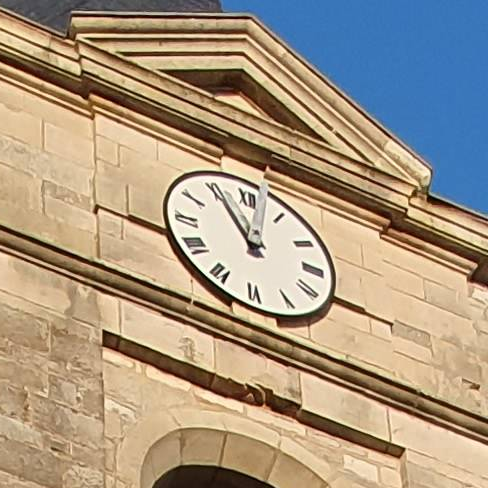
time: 11:02
